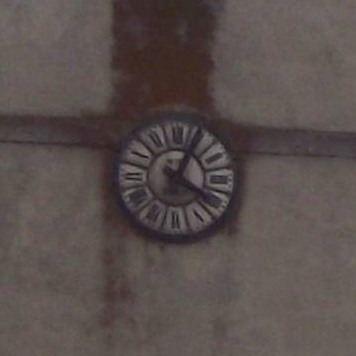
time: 4:04
